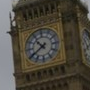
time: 10:39
